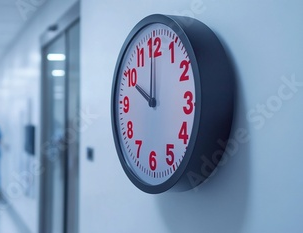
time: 9:59
